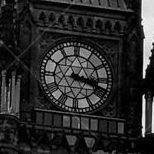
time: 3:17
